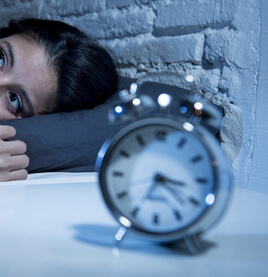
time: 3:22
